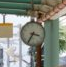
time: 3:35
